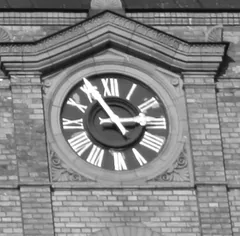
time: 2:54
